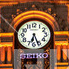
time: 6:26
